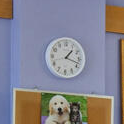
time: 1:17
